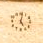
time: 5:01
